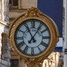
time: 11:05
